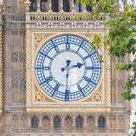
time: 2:30
